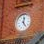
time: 12:24
